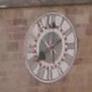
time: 8:01
